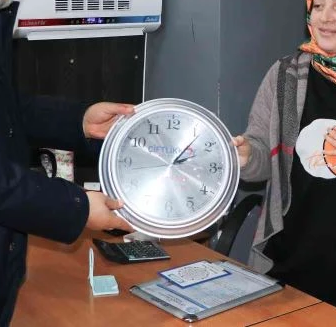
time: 1:19
